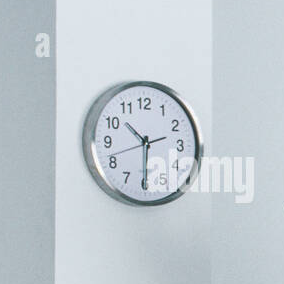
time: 10:30
